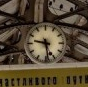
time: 9:28
